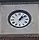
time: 1:08
